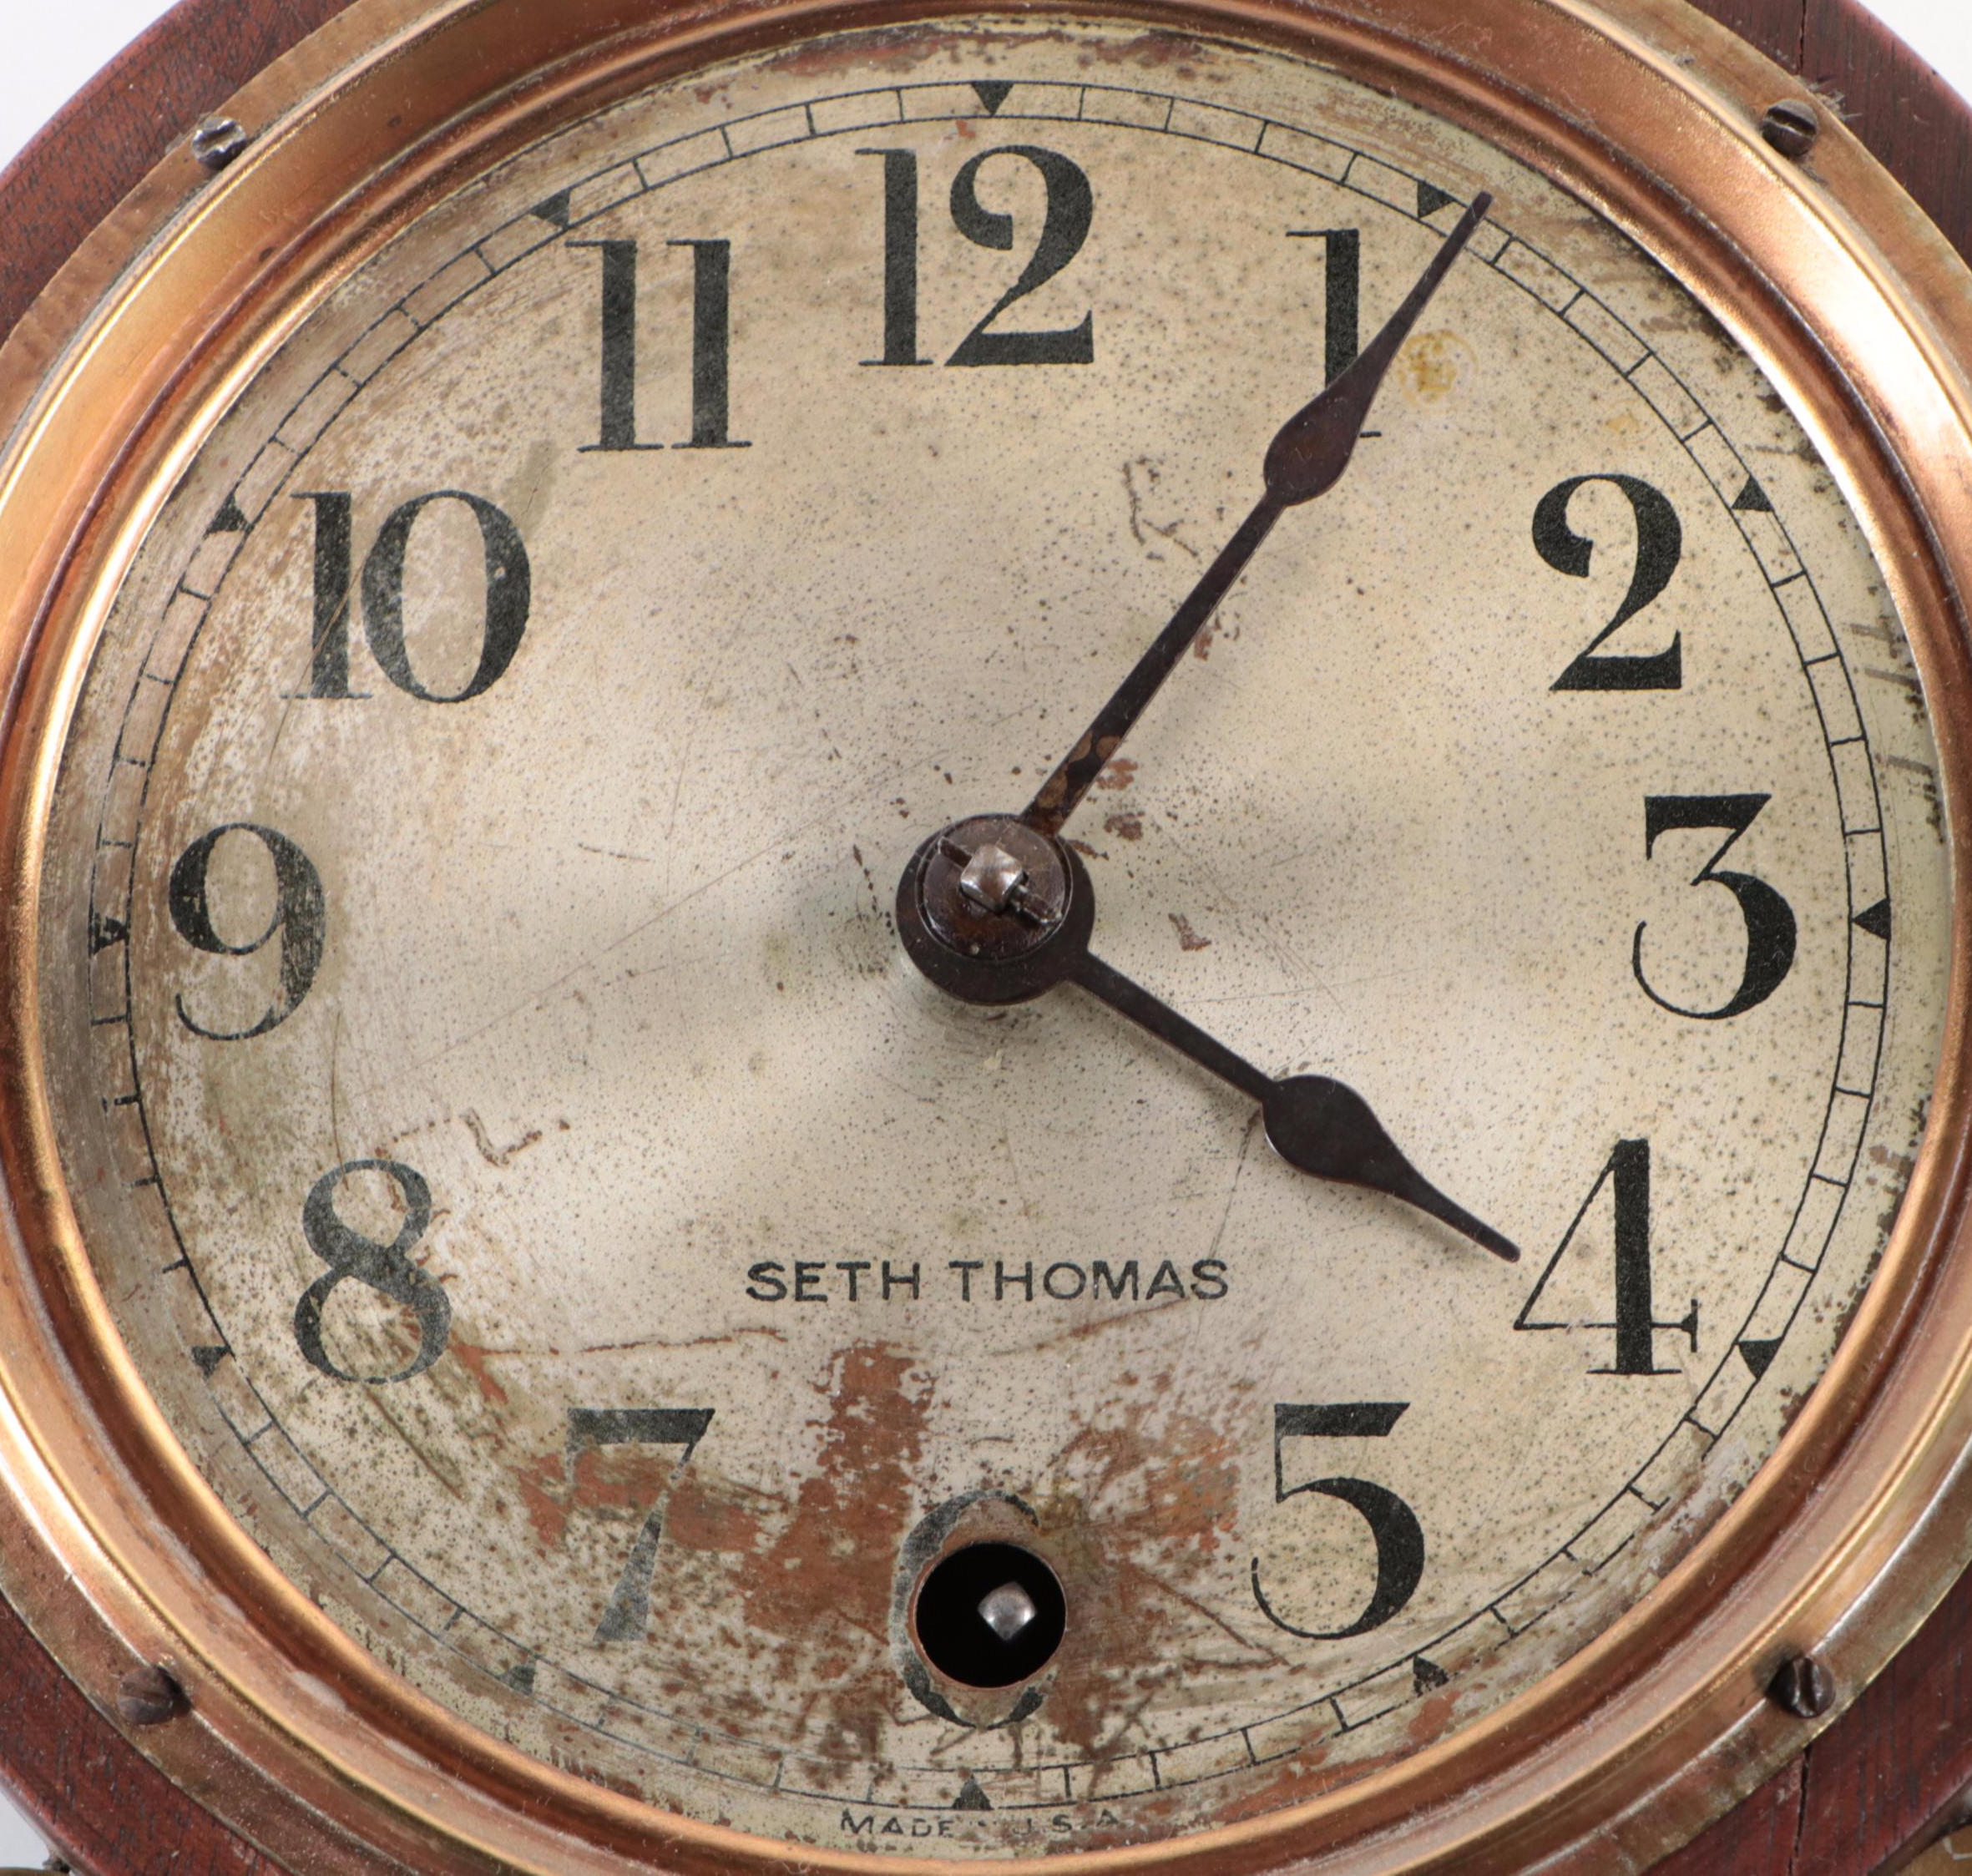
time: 4:06
